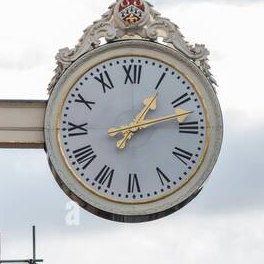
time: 1:12
